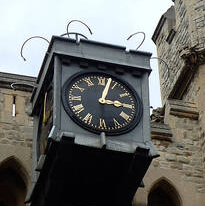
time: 3:02
